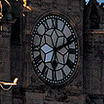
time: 6:11
